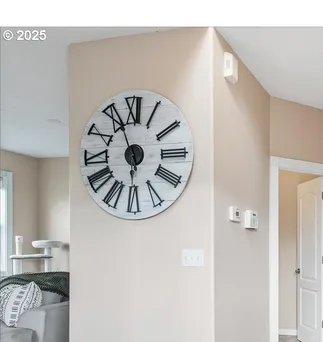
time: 5:56
